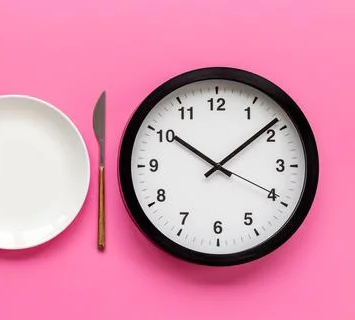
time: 10:08
